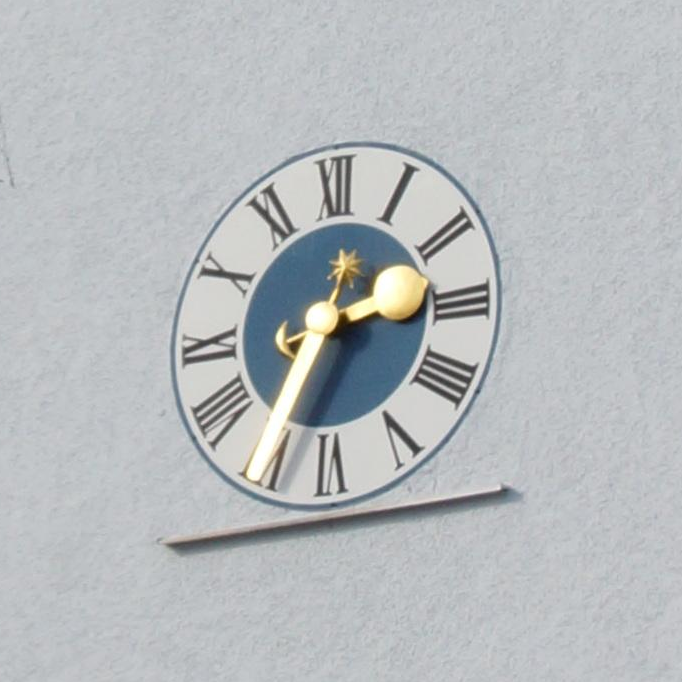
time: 2:34
